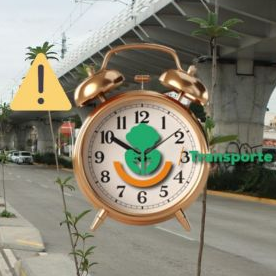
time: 1:50
